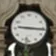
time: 9:16
